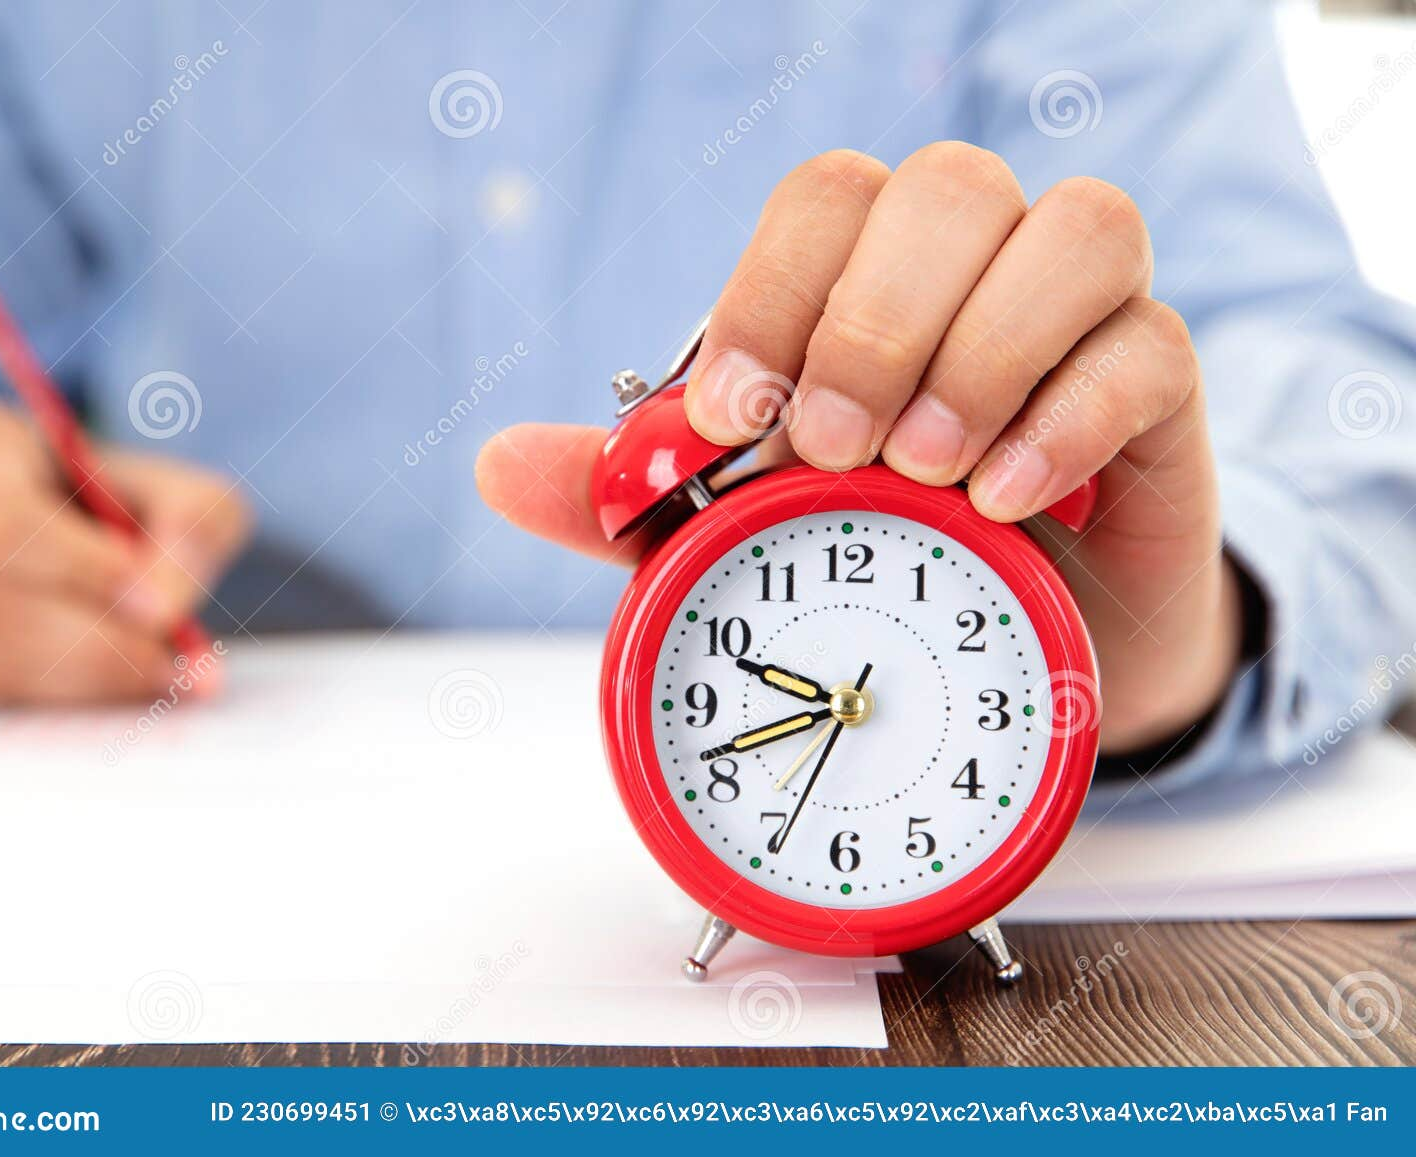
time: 9:41
